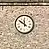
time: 11:50
